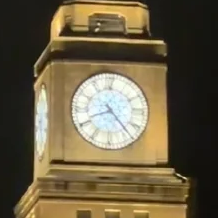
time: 4:40
